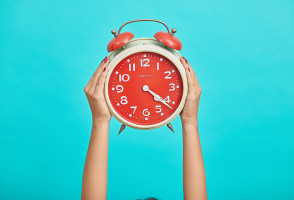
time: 4:21
